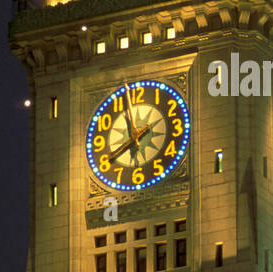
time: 7:57
